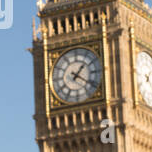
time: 1:20
